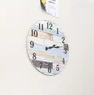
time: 2:13
